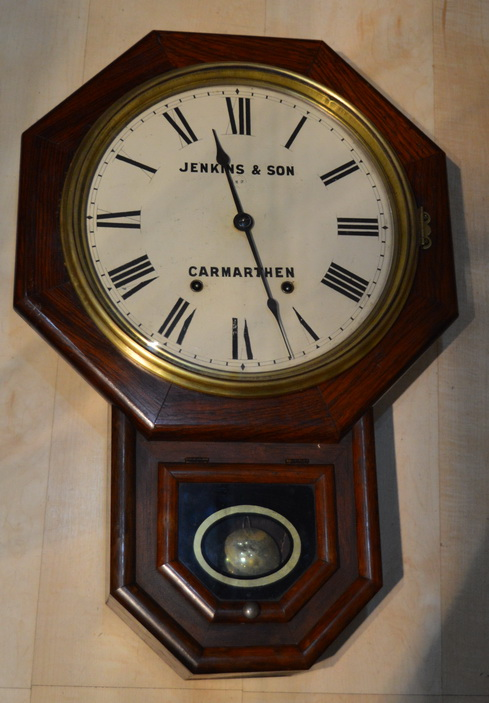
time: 11:26
